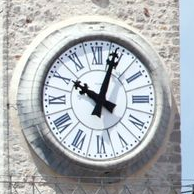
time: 10:03
